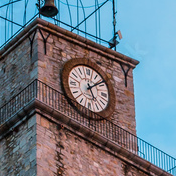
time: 5:08
